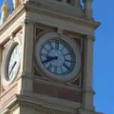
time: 8:40
